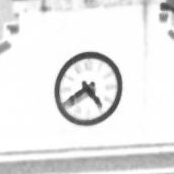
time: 4:40
